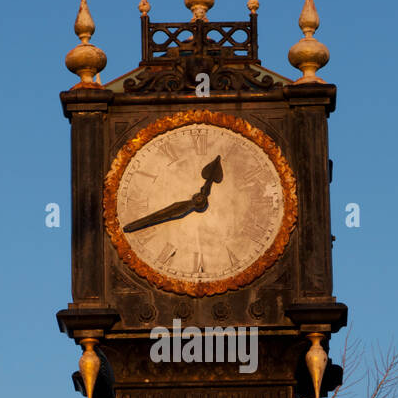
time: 12:41
